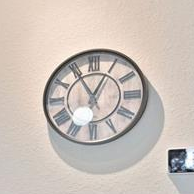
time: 12:55
